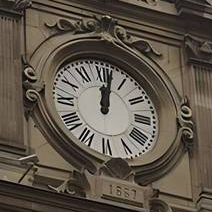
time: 12:01
